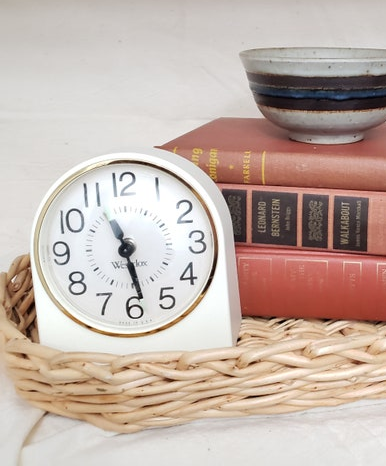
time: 11:28
